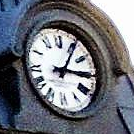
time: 3:05
